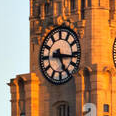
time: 5:16
